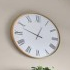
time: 12:48
